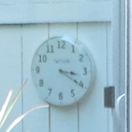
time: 3:20
